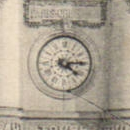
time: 4:14
